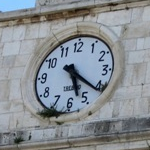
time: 5:21
